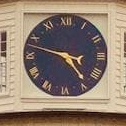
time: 4:47
